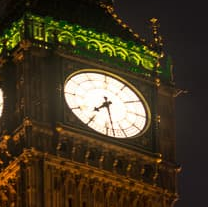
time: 7:28
